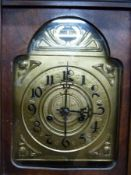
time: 3:00
